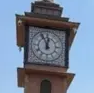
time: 11:55
